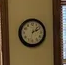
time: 2:07
